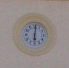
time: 6:01
